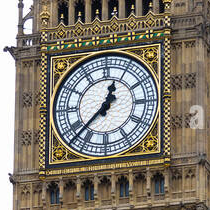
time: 12:37
